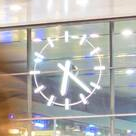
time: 6:21
